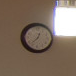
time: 12:37
